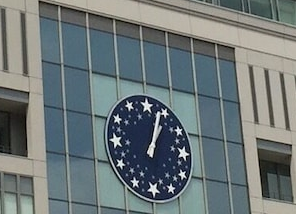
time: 1:03
